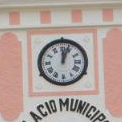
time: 12:03
